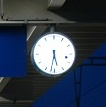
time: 5:31
